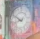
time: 9:42
